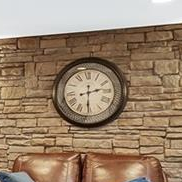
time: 2:30
